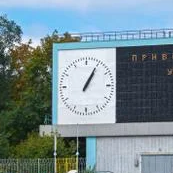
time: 1:04
